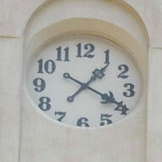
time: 1:19
